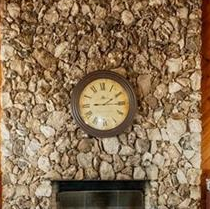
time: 2:15
